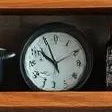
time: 9:56
